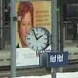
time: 1:56
